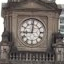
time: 9:01
